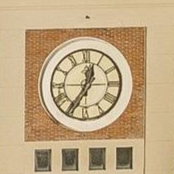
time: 12:35
